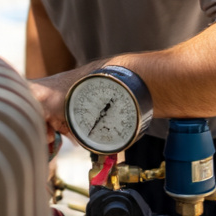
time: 1:36
